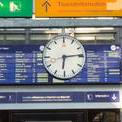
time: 6:14
